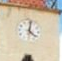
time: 4:01
